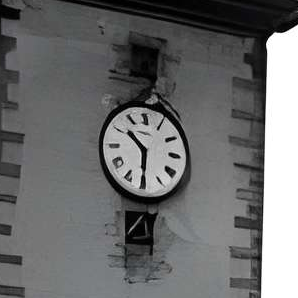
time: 10:30
